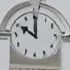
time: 9:59
